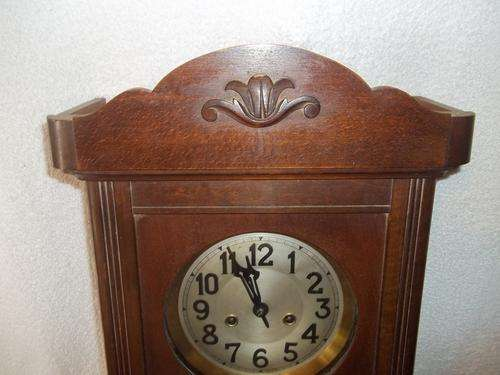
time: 11:56
